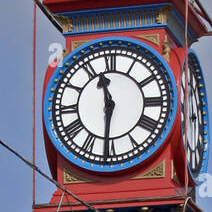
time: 11:30
